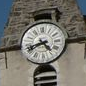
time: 4:41
